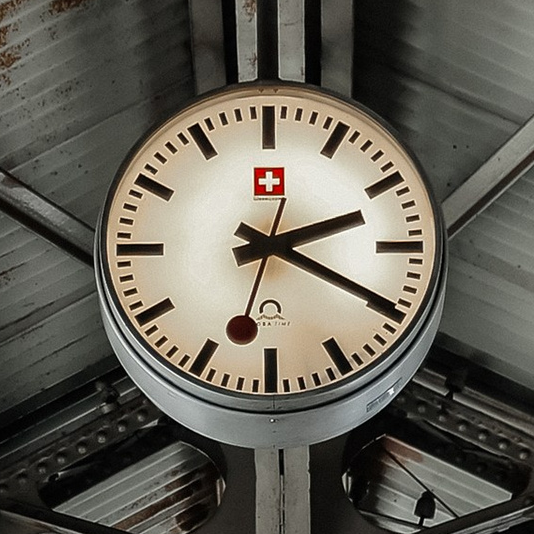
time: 2:19
